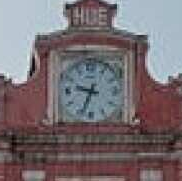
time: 9:33
